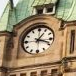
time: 1:18
